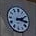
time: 2:16
